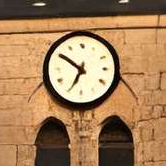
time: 6:50
